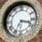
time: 3:34
